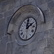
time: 2:00
